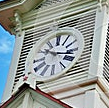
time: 10:17
